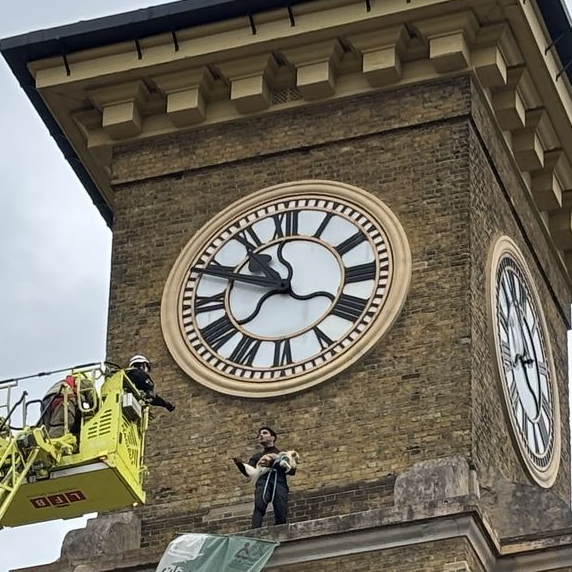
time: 10:48
